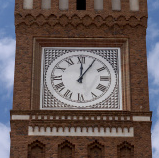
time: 12:05
